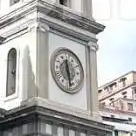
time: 11:28
